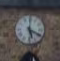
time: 5:18
